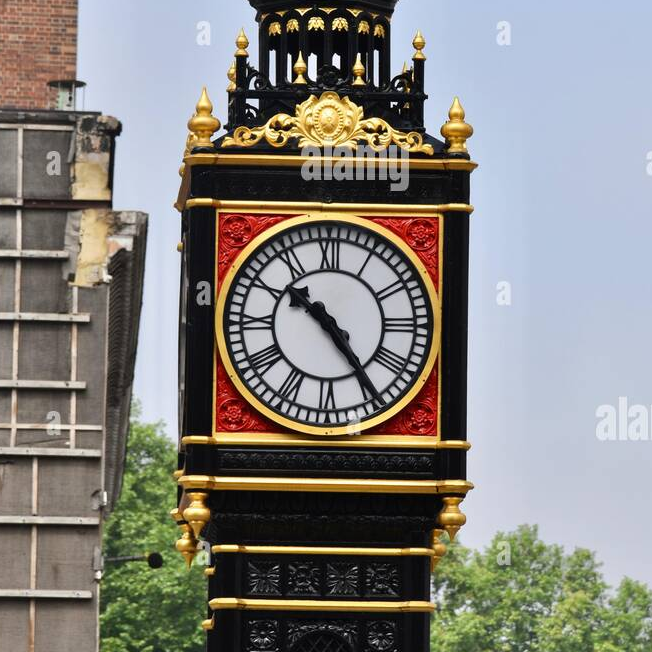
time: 10:24
